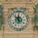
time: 11:52
